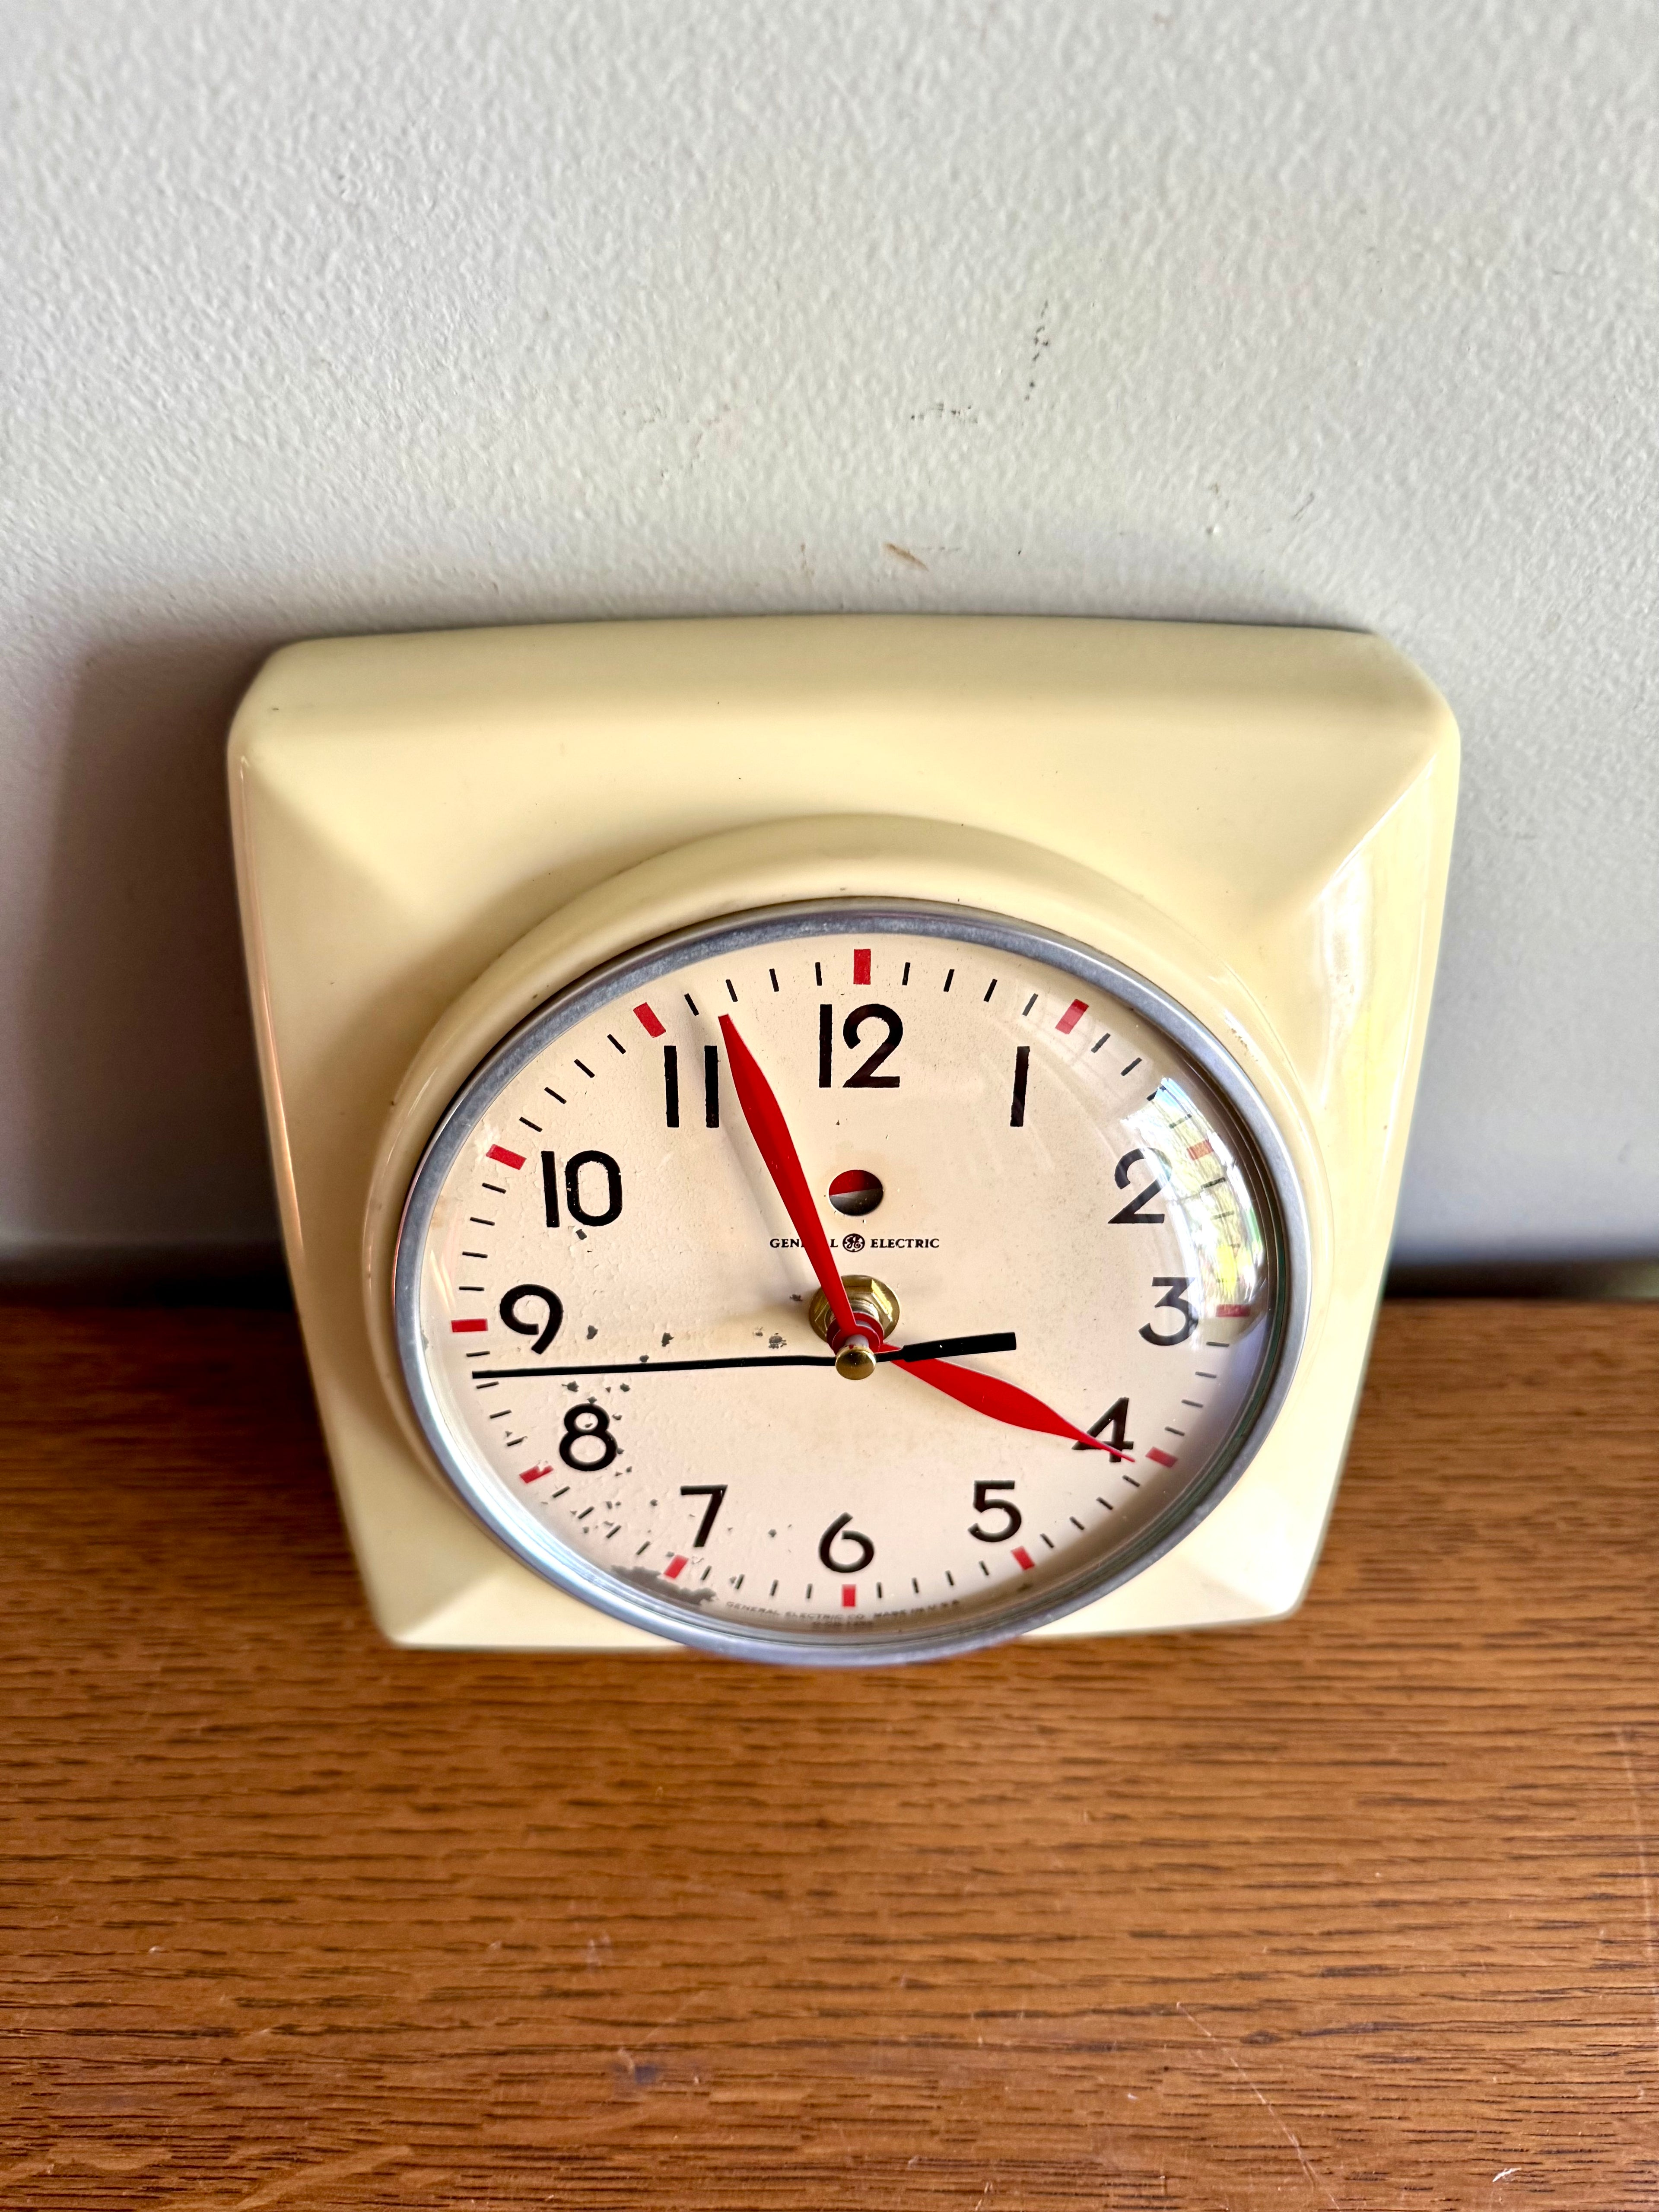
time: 3:56
